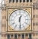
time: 12:28
